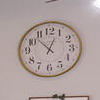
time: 12:52
